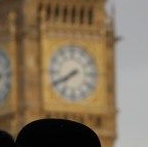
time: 7:40
